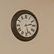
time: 2:27
